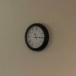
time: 11:14
